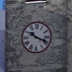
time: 10:18
